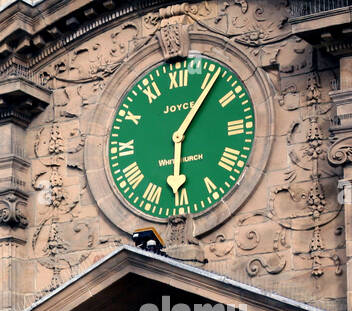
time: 6:06
